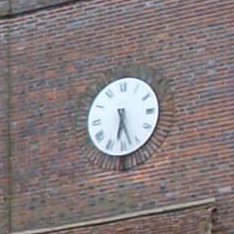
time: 6:27
